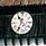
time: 10:34
